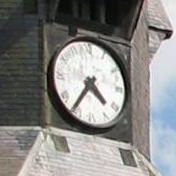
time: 4:35
